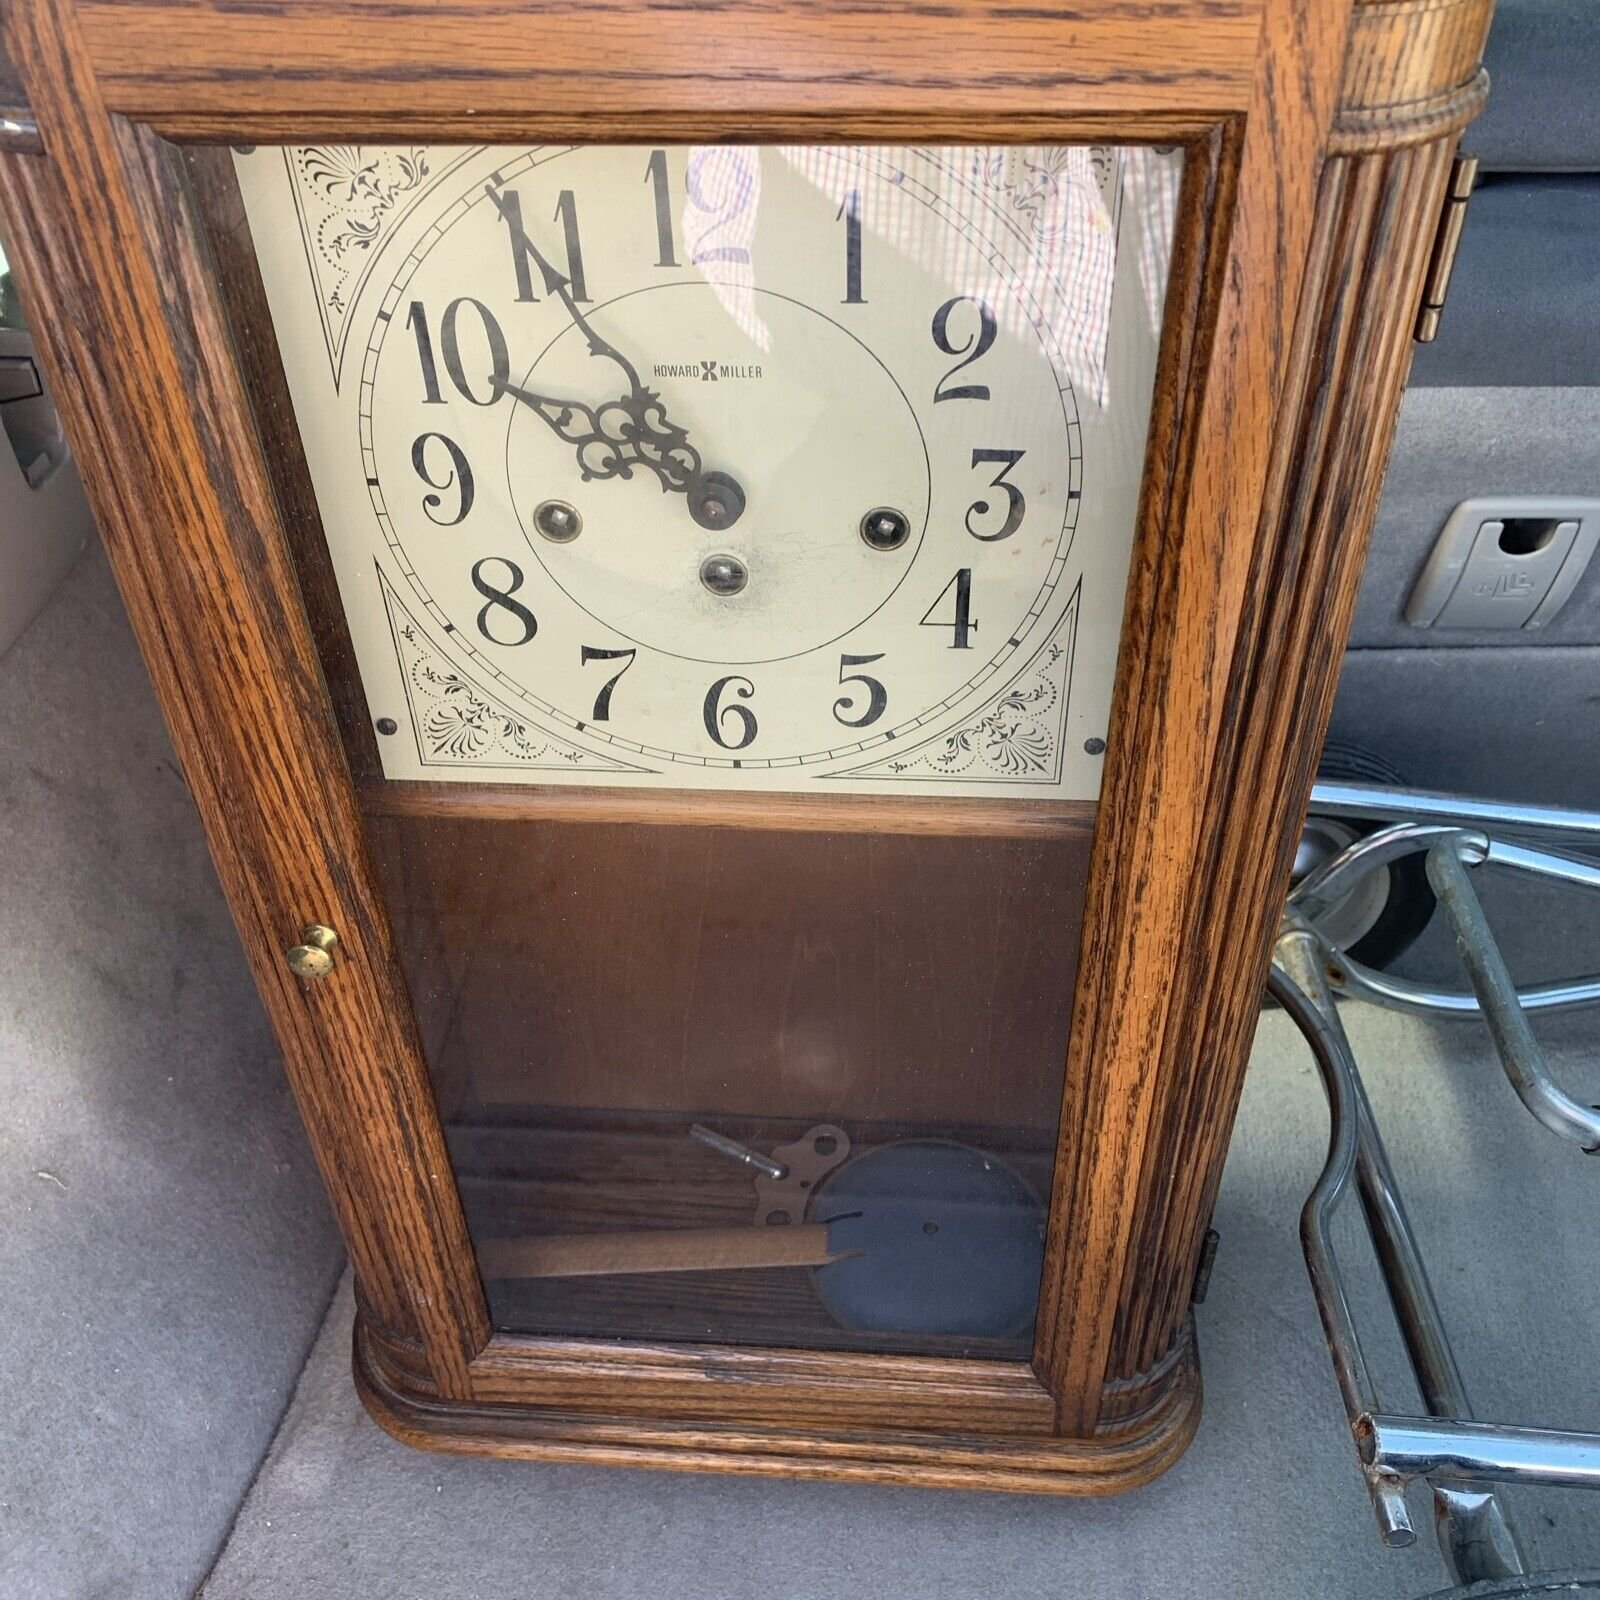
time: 10:50
